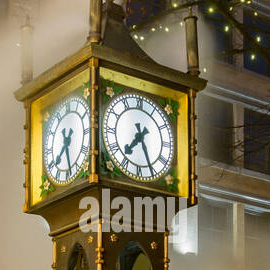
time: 7:25
